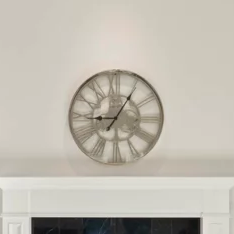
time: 9:05
